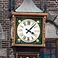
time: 4:07
